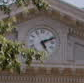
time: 5:11
